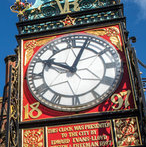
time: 10:03
